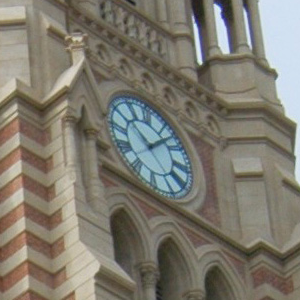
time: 10:07
